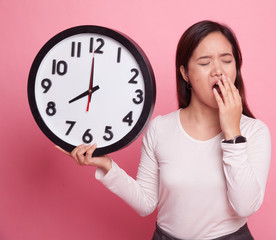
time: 7:59
